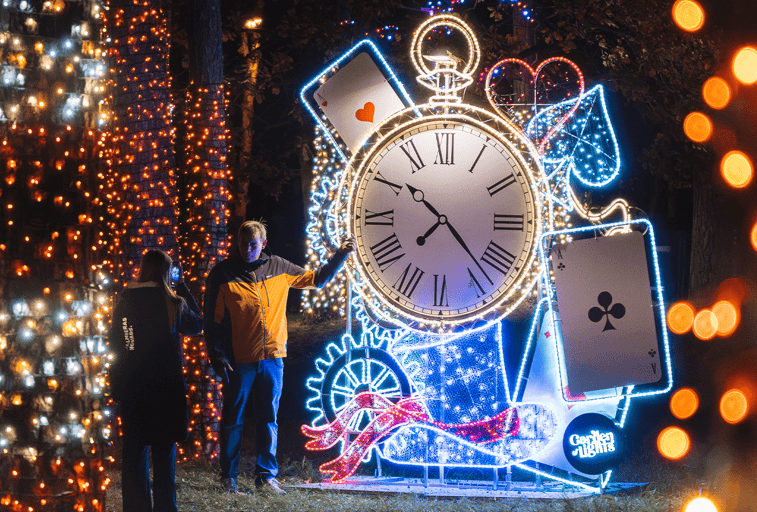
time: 10:22
